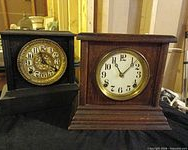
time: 11:07
